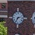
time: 7:12
